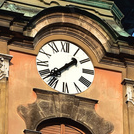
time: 1:37
